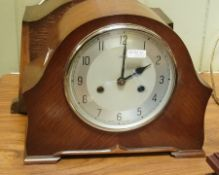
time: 2:00
